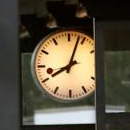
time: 8:03
